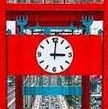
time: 3:00
